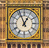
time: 12:56
